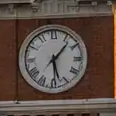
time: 1:28
